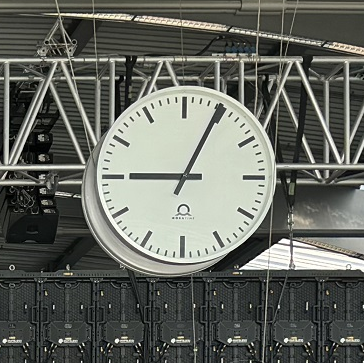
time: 9:04
